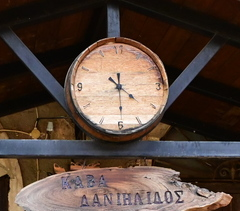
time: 4:29
